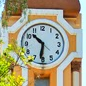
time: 10:31
